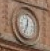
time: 12:34
